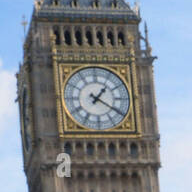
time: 1:20
